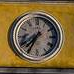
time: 7:34
